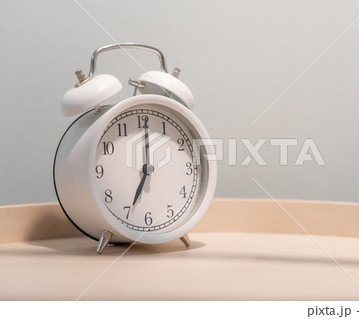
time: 7:00
